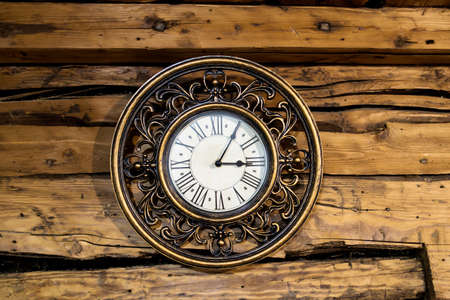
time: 3:04
